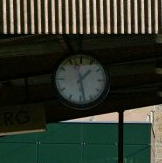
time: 1:28
